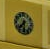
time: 7:30
